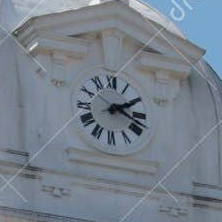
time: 2:18
